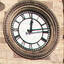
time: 12:13
